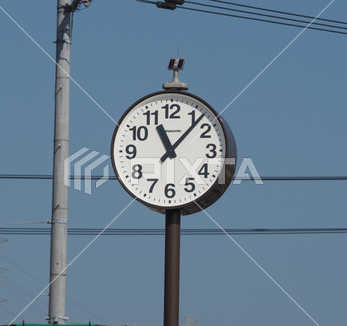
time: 11:07
